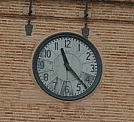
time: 11:22
